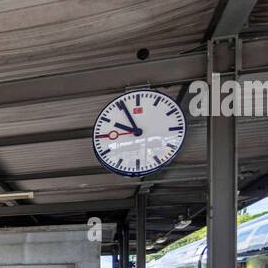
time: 9:55
